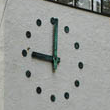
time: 9:00
